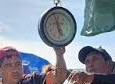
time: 4:57
